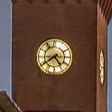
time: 4:39
